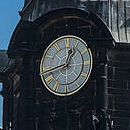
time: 12:43
